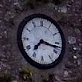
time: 7:17
